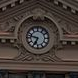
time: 6:47
